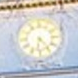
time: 6:23
